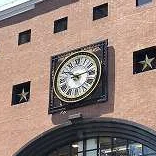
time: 10:13
